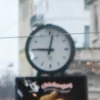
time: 9:01
